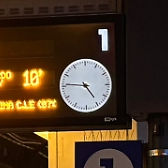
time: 4:45
